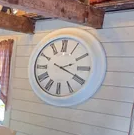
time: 2:18
